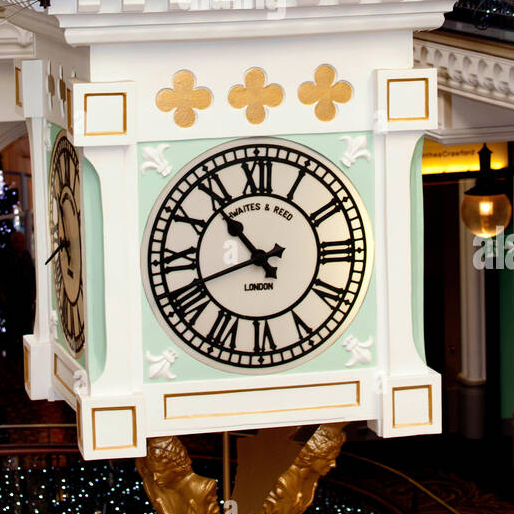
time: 10:41
